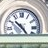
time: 10:24
